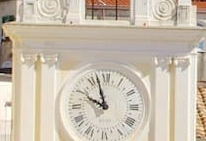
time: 9:57
